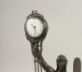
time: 10:28
